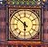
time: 5:51
